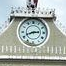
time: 2:41
